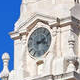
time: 2:18
